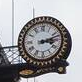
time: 3:12
